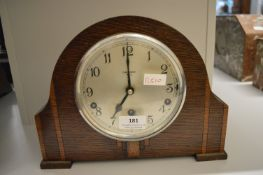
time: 7:00
